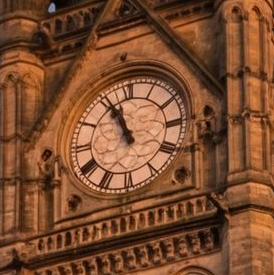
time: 10:56
